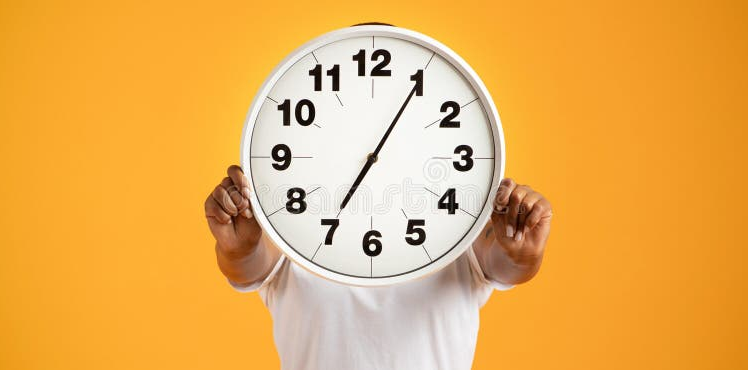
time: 7:05
